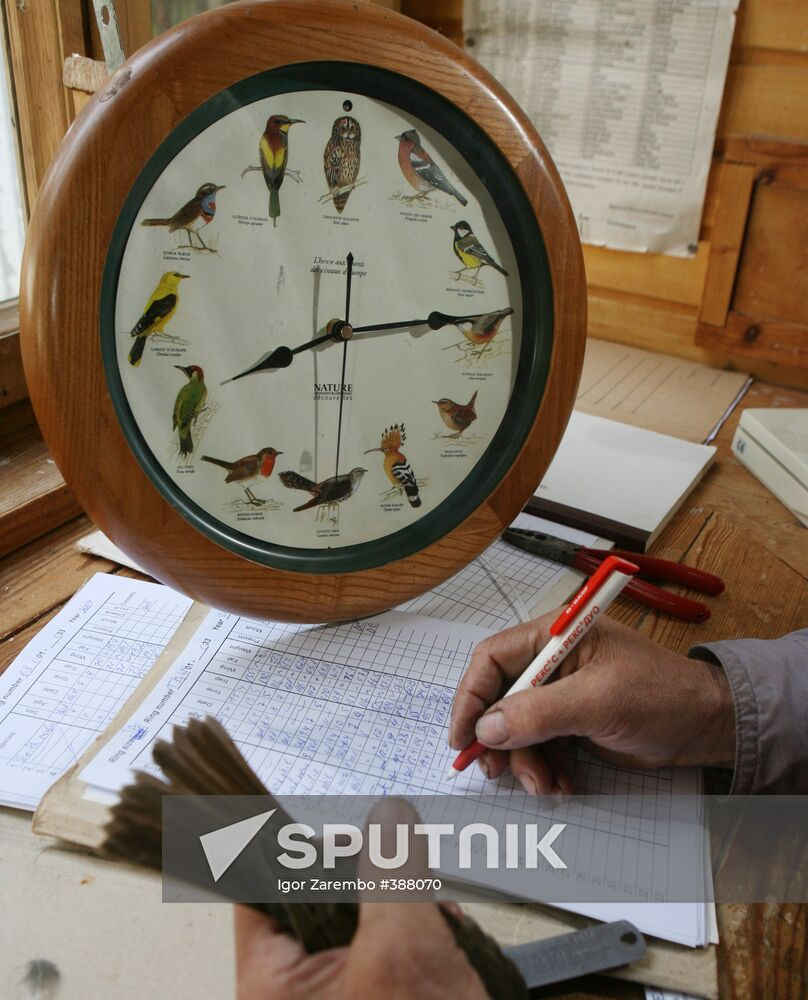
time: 8:14
